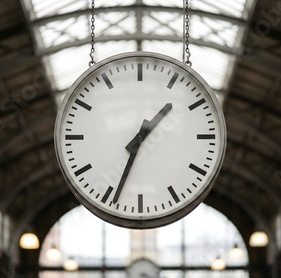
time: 1:33
